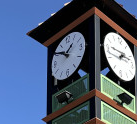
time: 1:50
